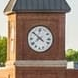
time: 7:51
